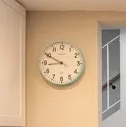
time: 8:49
